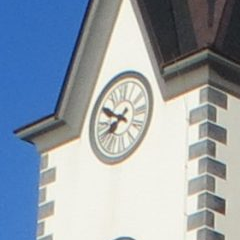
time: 7:49
